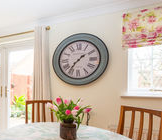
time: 1:36
